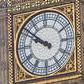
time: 9:51
